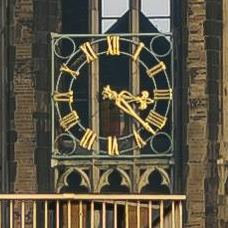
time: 3:21
